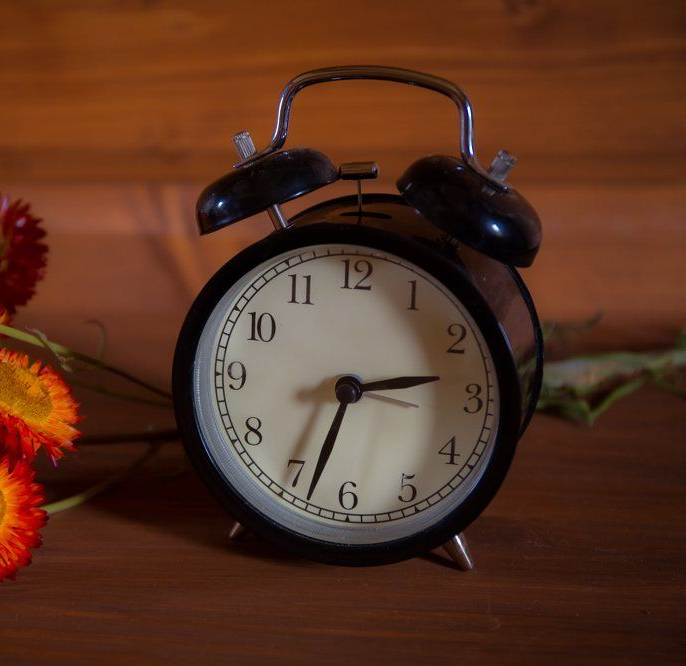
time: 2:33
